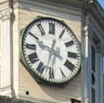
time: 12:32
